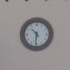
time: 10:31
